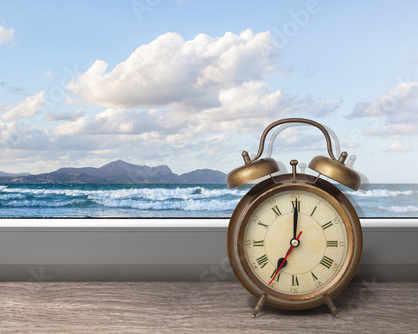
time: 7:00
